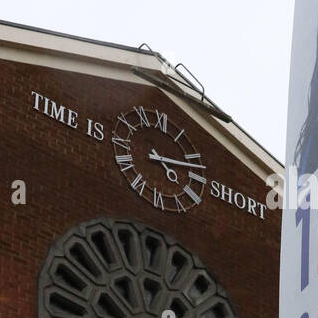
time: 4:12
